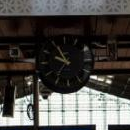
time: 9:55
